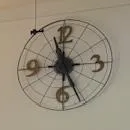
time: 11:25
